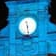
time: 11:28
